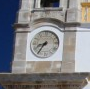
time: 8:35
